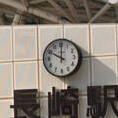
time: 10:00
